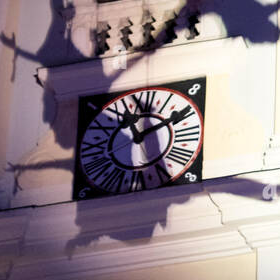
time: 11:12
